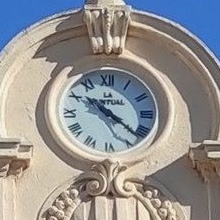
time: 10:21
